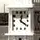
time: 12:20
